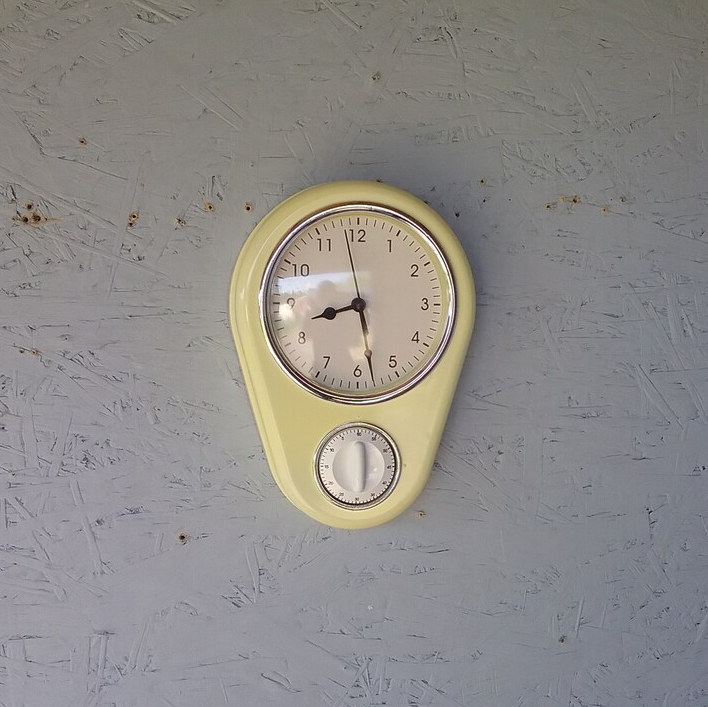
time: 8:28
